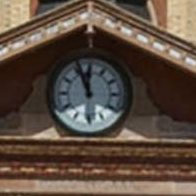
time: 11:56
